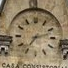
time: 7:12
